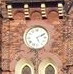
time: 5:10
